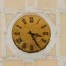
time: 3:25
